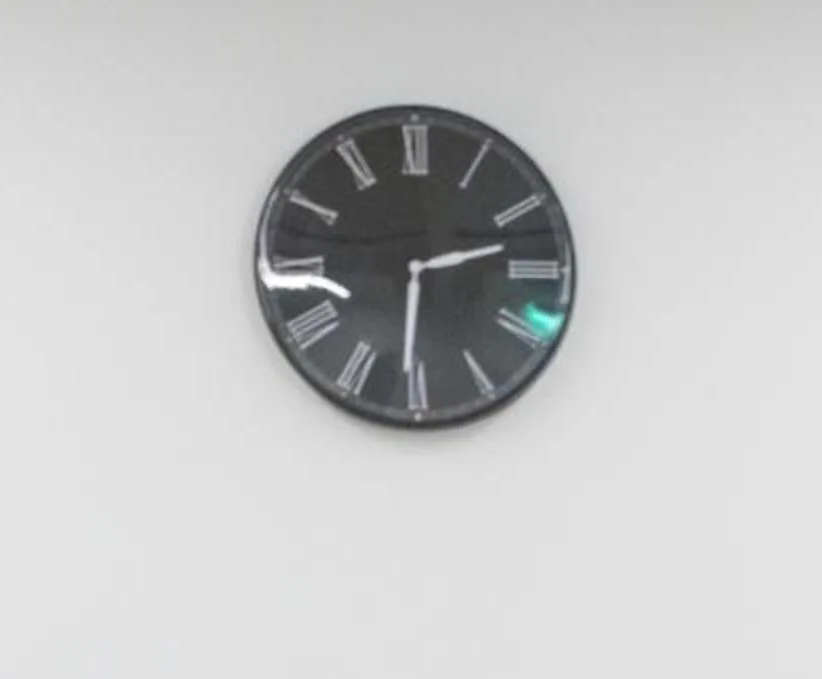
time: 2:30
